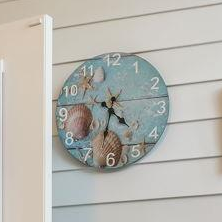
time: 4:32
